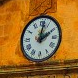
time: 2:01
